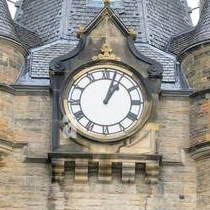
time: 1:03
